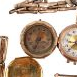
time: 12:33
